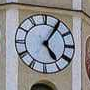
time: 5:05
